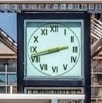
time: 2:42
